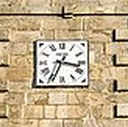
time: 3:34
